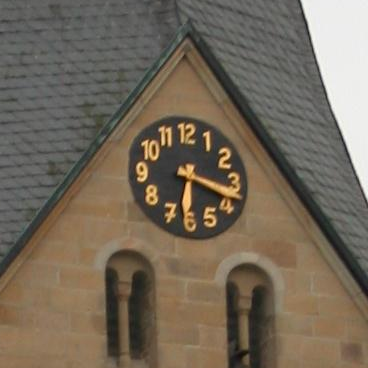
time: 6:18
